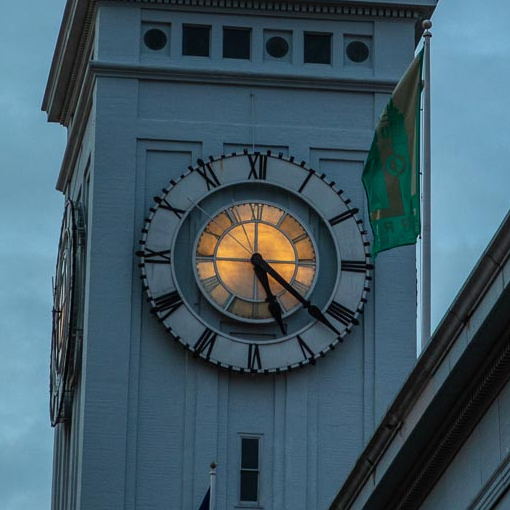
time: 5:21
